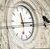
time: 11:13
